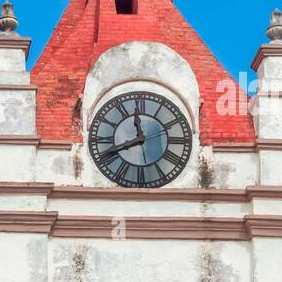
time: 11:40
